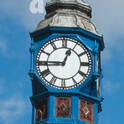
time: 12:45
